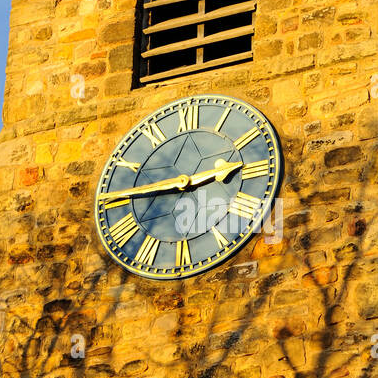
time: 2:45
